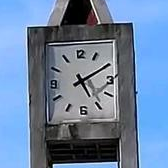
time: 5:10
